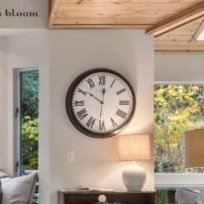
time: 10:01
